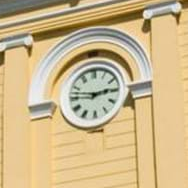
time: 2:47
